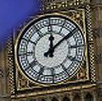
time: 12:09
